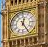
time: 12:24
